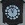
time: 11:04
